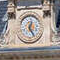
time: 12:24
